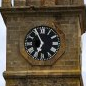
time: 6:55
